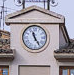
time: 11:24
